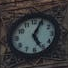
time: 5:04
